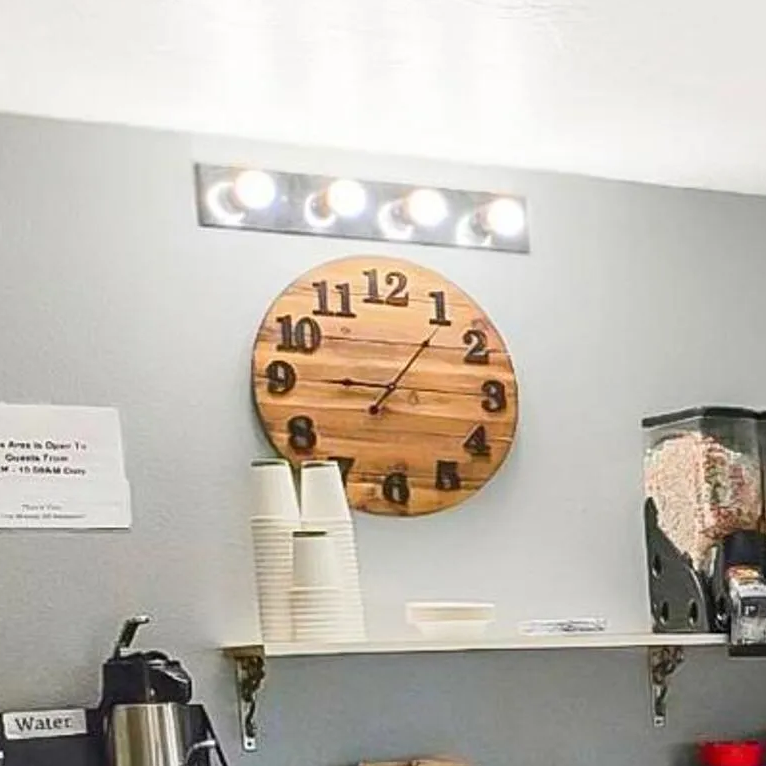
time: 9:06
